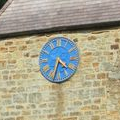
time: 4:33
